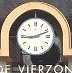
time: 9:11
